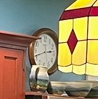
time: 2:42
